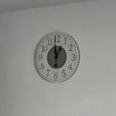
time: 12:58
